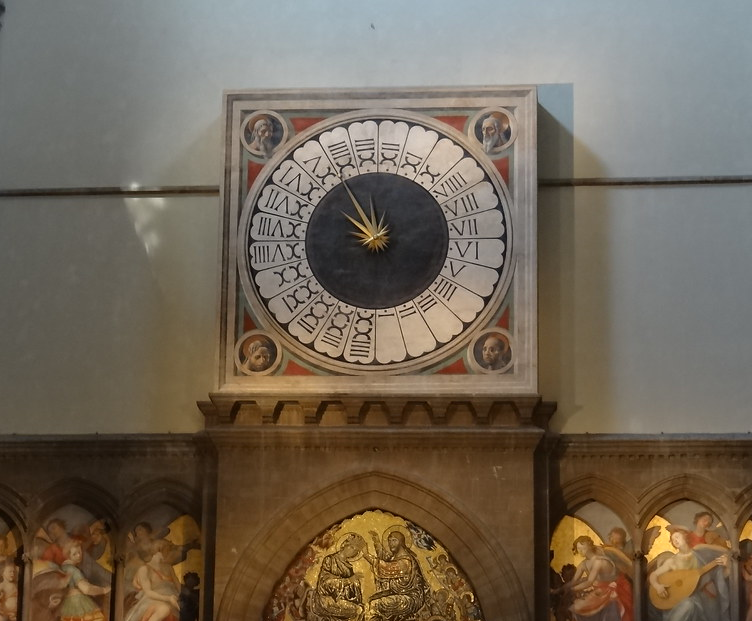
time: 9:54
